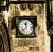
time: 11:37
